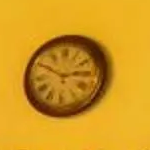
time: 2:49
